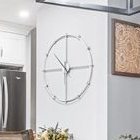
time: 10:14
